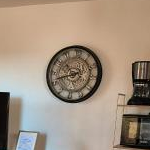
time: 10:41
